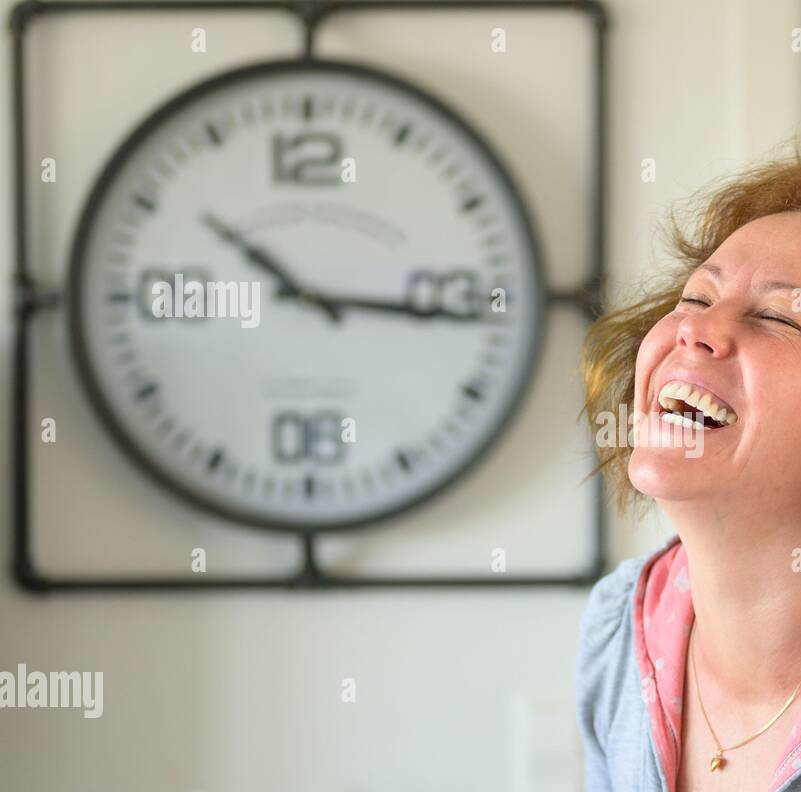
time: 10:16
